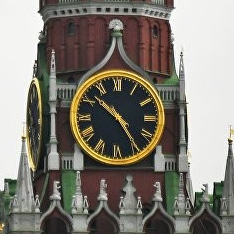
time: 10:24
